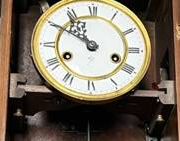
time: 10:50
